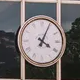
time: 4:04
